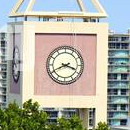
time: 3:40
